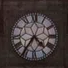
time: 4:35
